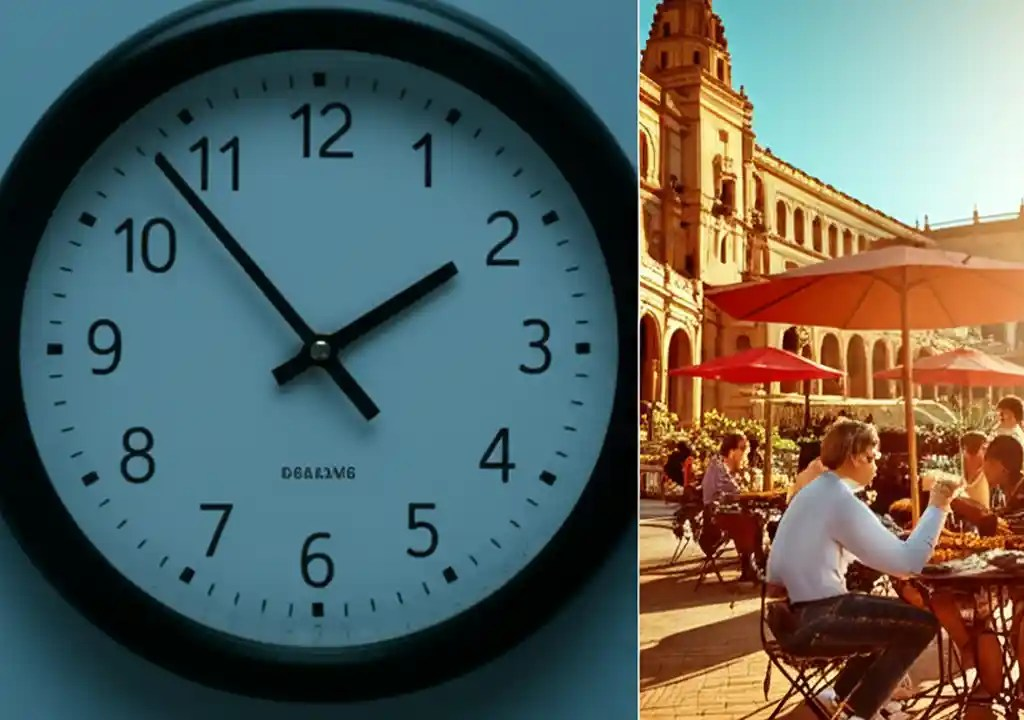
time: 1:53
